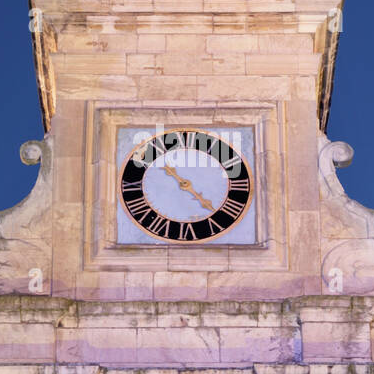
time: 10:22
